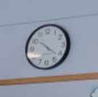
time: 4:21
